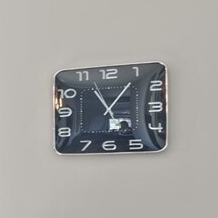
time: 11:06
